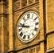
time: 9:47
